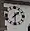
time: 1:29
